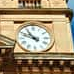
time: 10:48
